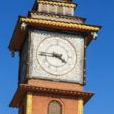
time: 3:44
